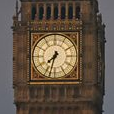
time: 7:32
